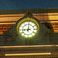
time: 9:01
